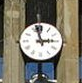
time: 2:57
